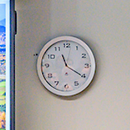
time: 11:20
